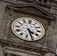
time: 4:26
